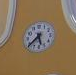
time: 5:38
